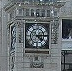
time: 4:14
